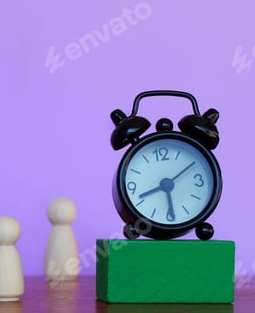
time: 8:29
